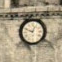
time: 12:48
